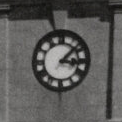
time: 3:07
